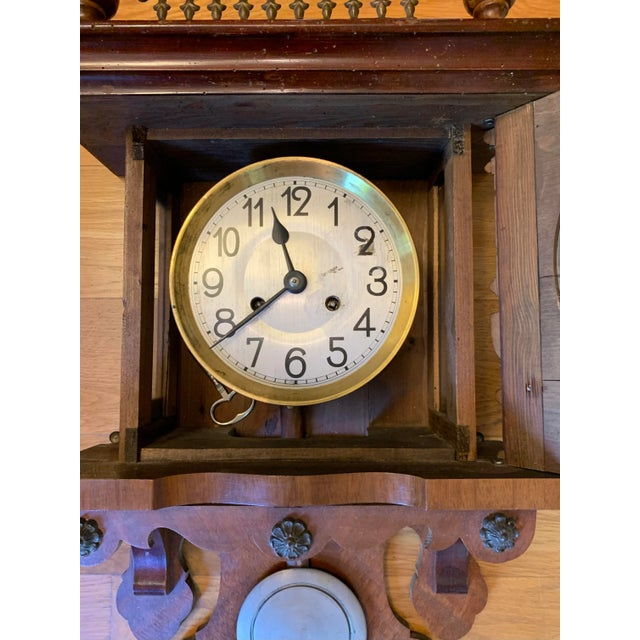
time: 11:39
